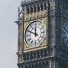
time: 11:49
